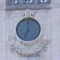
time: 7:00
